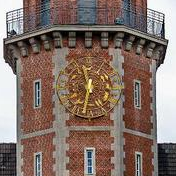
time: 11:32
